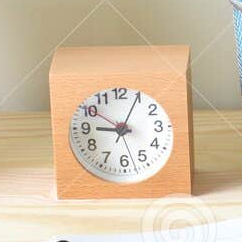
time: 9:04
